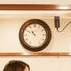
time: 10:50
